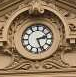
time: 2:26
